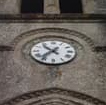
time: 10:36
